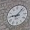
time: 9:07
